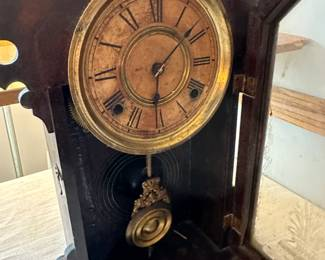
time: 6:08
